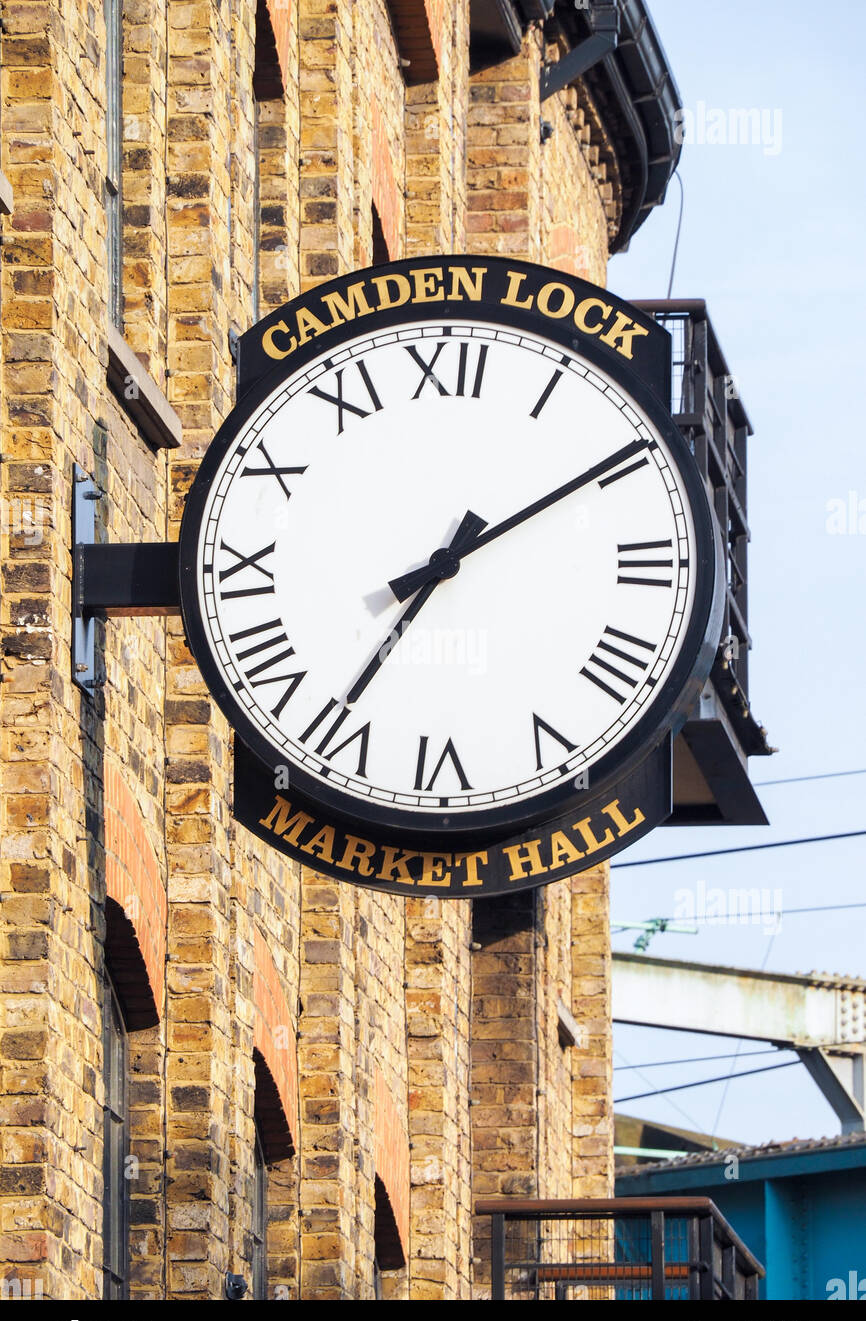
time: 7:09
